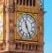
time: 11:26
